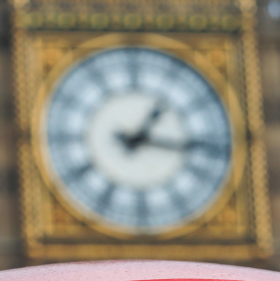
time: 1:16
